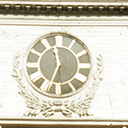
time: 11:33
